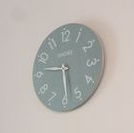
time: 5:46
